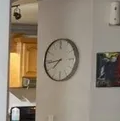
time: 7:43
